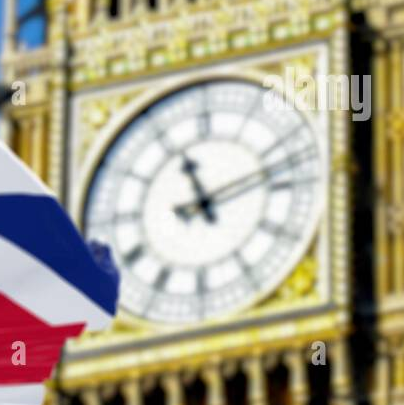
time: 11:12
